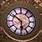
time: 5:51
